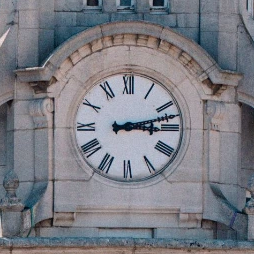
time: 3:12
